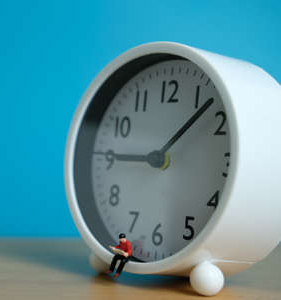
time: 9:07
